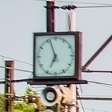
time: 6:56
